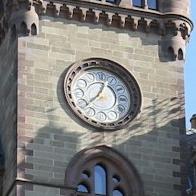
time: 12:37
